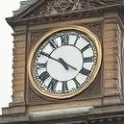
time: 4:49
